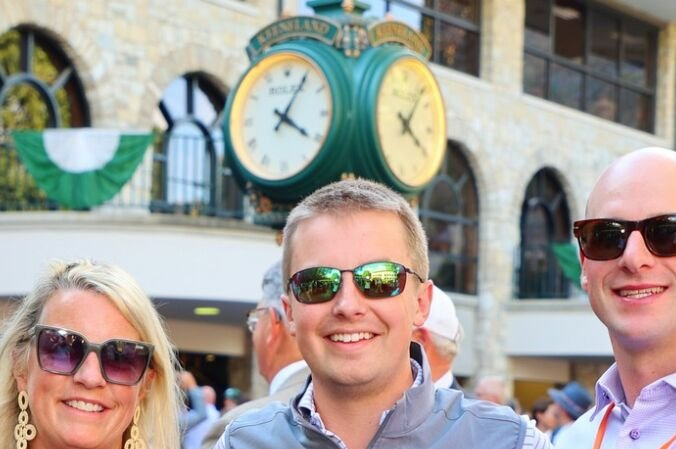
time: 4:04
